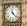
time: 11:22
